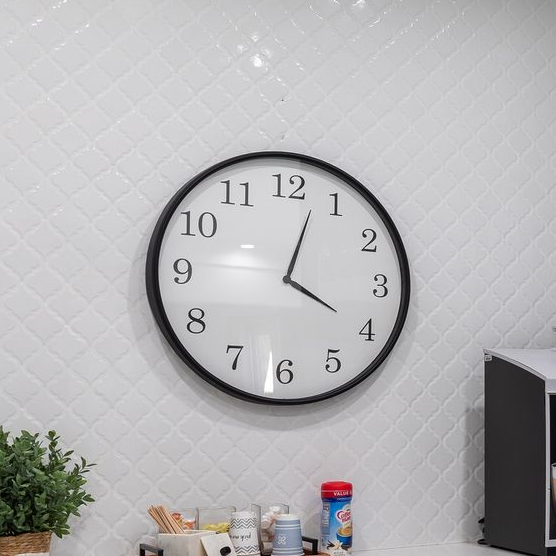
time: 4:02
